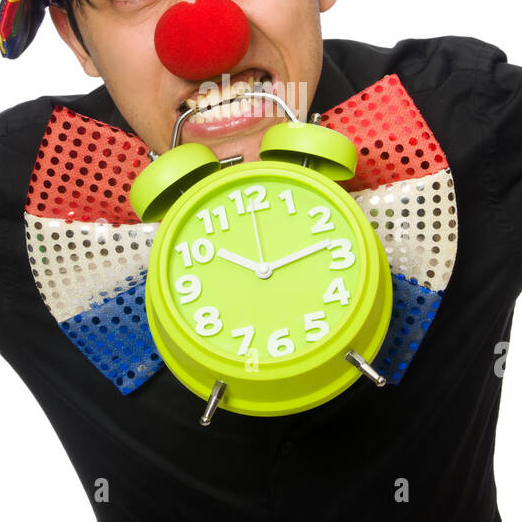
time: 10:13
